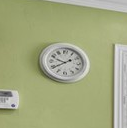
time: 9:39
